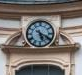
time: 5:19
